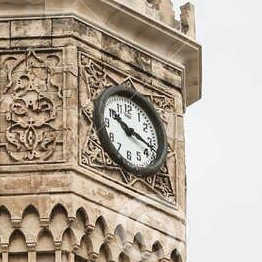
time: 10:17
